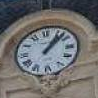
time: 1:07
